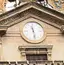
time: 11:28
